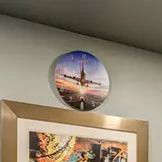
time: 11:46
